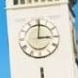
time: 3:01
